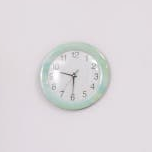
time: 9:30
